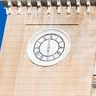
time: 5:59
